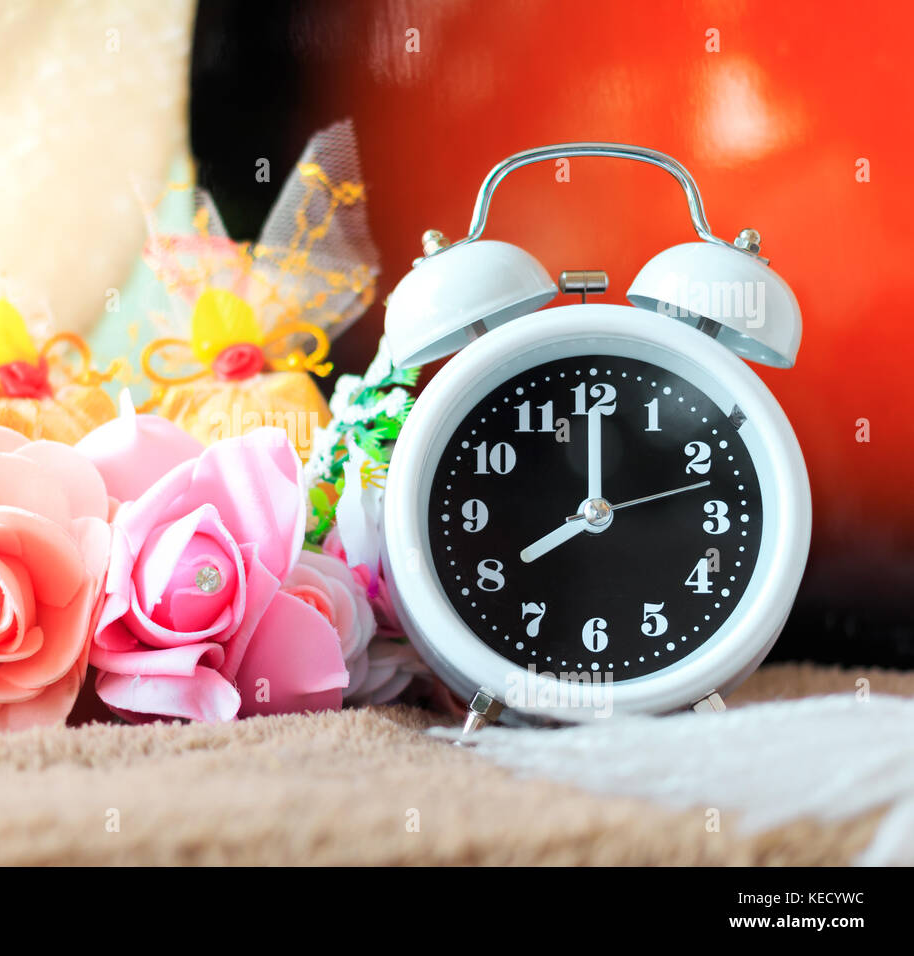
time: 8:00
